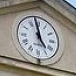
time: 4:58
